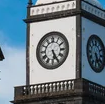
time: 5:25
